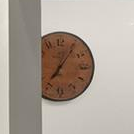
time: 7:05
